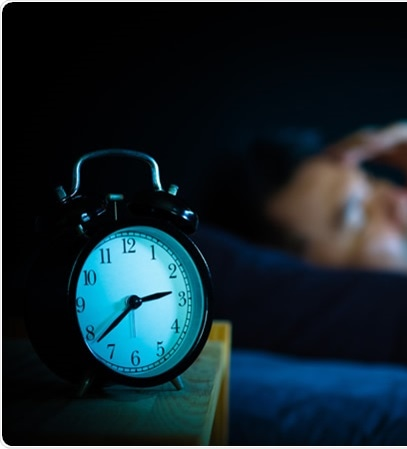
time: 2:38
